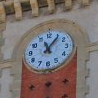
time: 11:06
